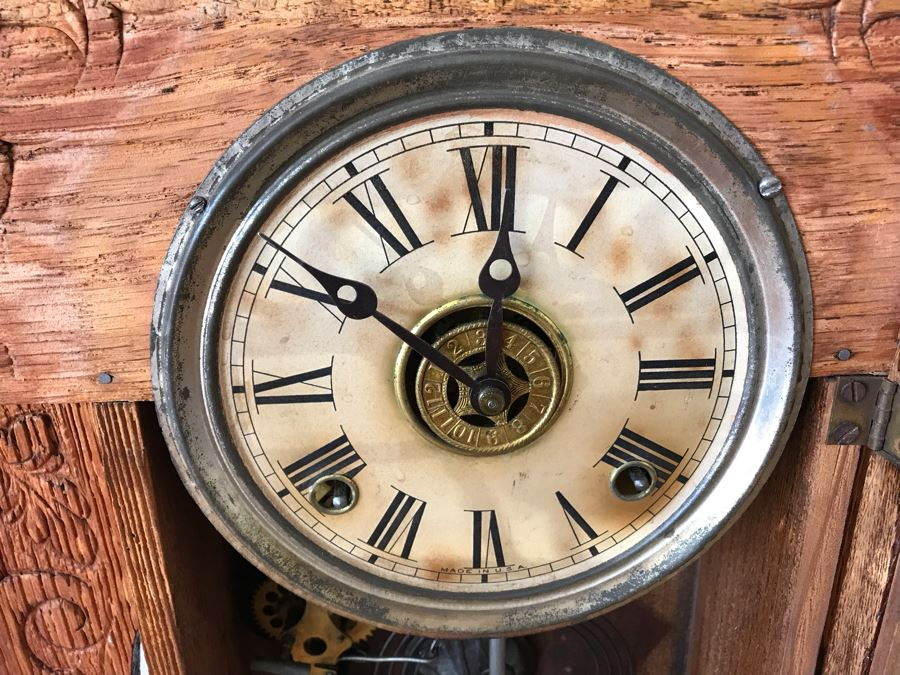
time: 11:50
